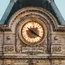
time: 10:20
